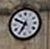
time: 6:49
